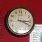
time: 3:19
